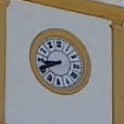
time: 8:40
